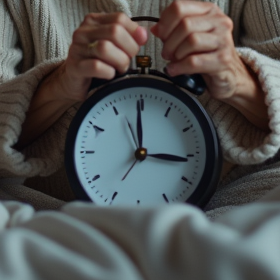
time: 2:59
